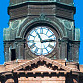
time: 11:14
